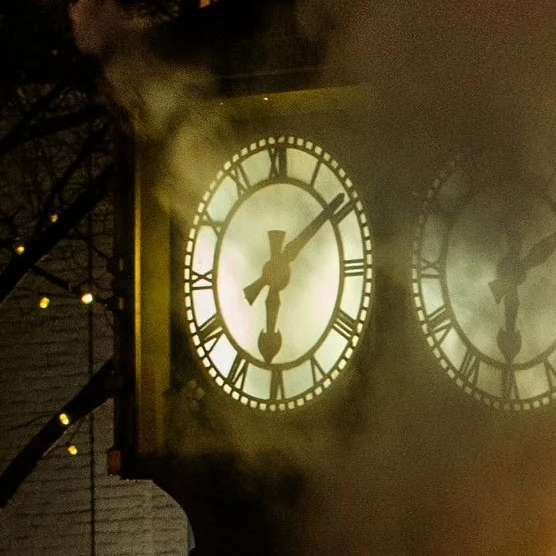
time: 6:08
